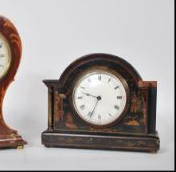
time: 9:34
